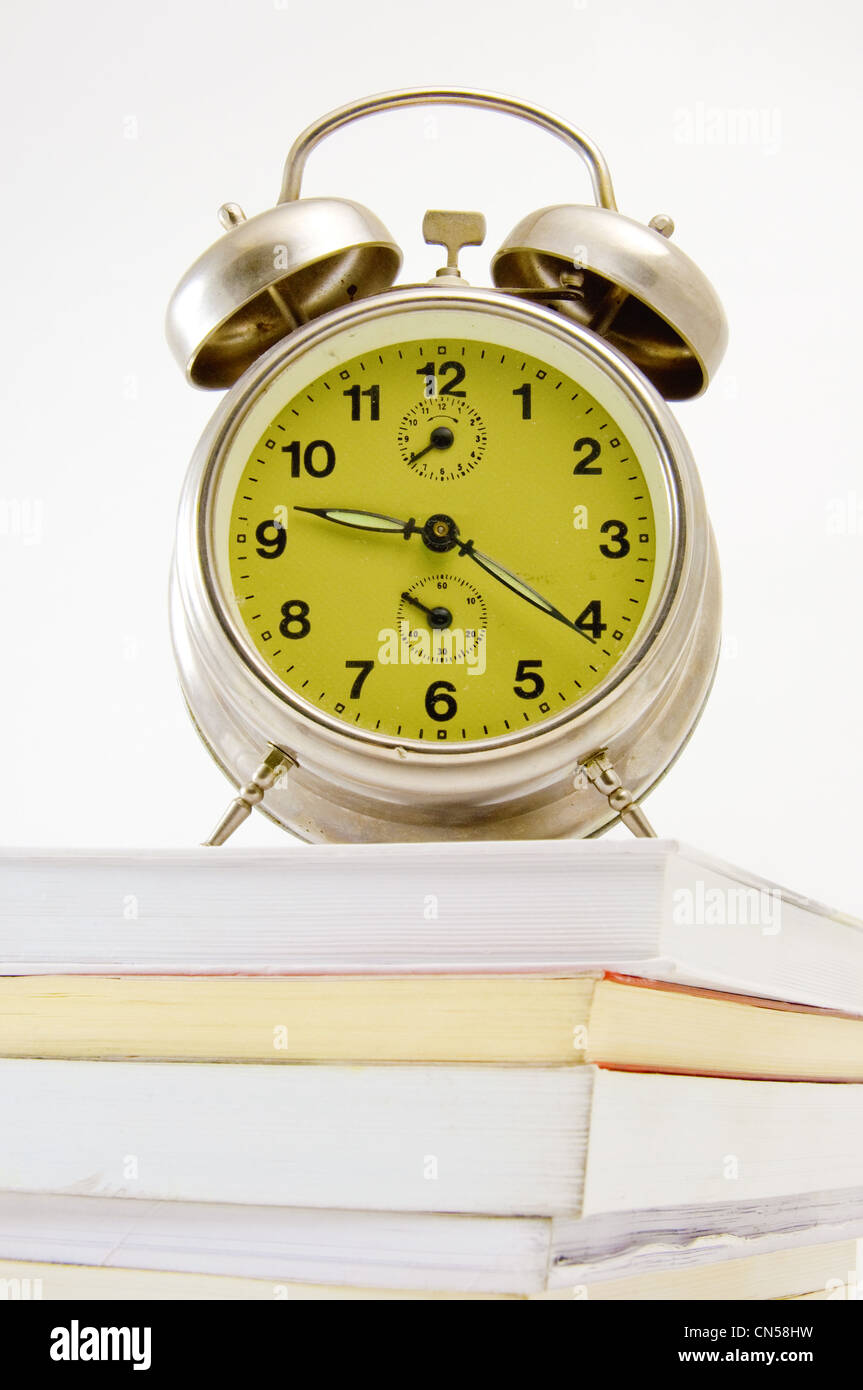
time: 9:20
